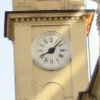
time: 8:07
